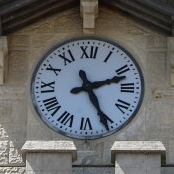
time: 2:25
